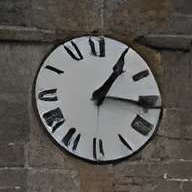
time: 1:16
